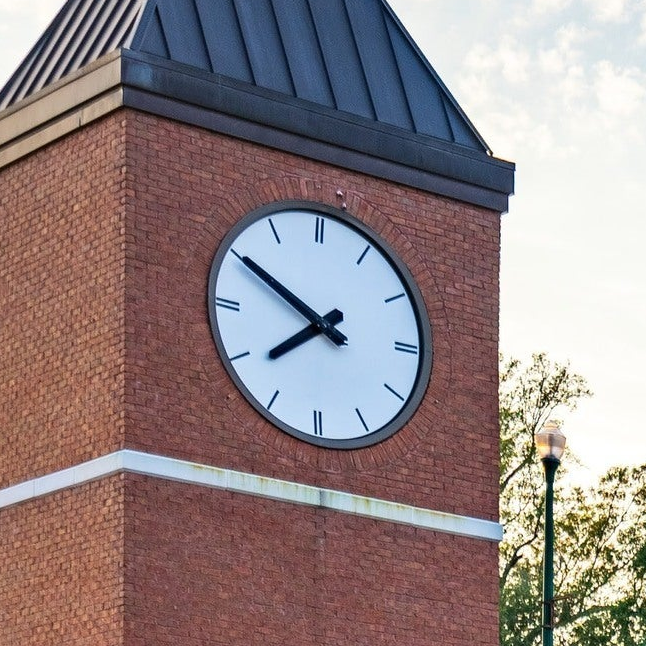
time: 7:49
